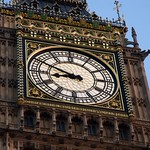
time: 8:49
